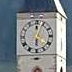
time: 6:03
